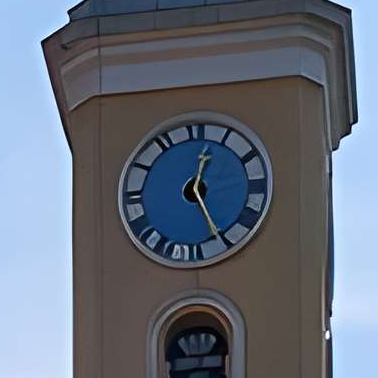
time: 12:26
